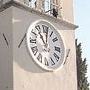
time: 11:01
